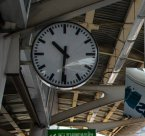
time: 10:31
